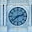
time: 2:38
